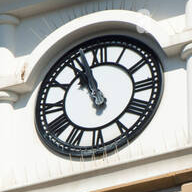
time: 10:56
